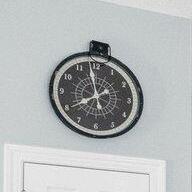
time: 7:58
